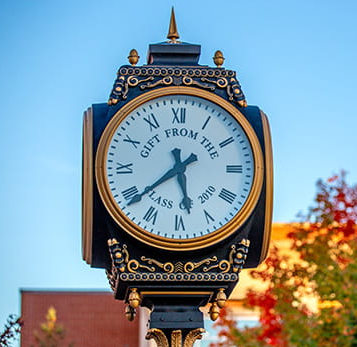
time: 5:38
